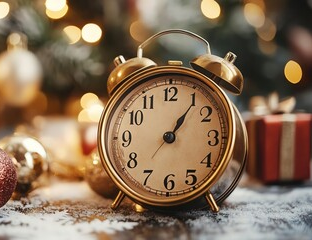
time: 1:06
